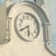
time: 5:40
